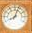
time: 8:03
